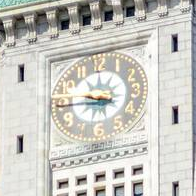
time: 3:44
